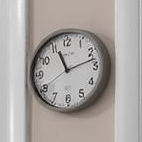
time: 11:12
